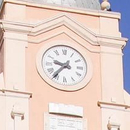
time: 9:36
